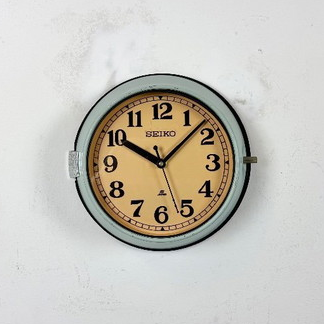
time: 10:07
